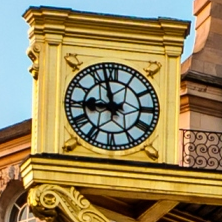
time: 8:57
